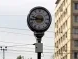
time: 9:43
